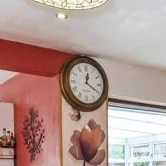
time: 12:19
